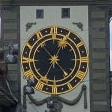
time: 12:53
